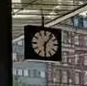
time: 6:06
